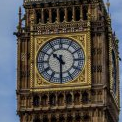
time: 10:30
